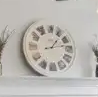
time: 1:13
